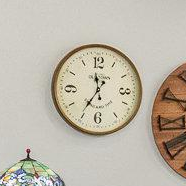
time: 11:35
